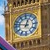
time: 12:47
